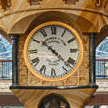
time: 10:22
